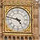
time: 4:47
